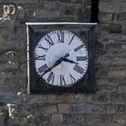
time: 3:38
